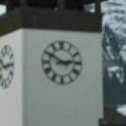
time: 2:50
